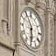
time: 5:54
